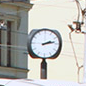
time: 2:13
